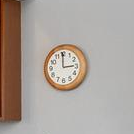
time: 2:59
